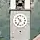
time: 10:36
